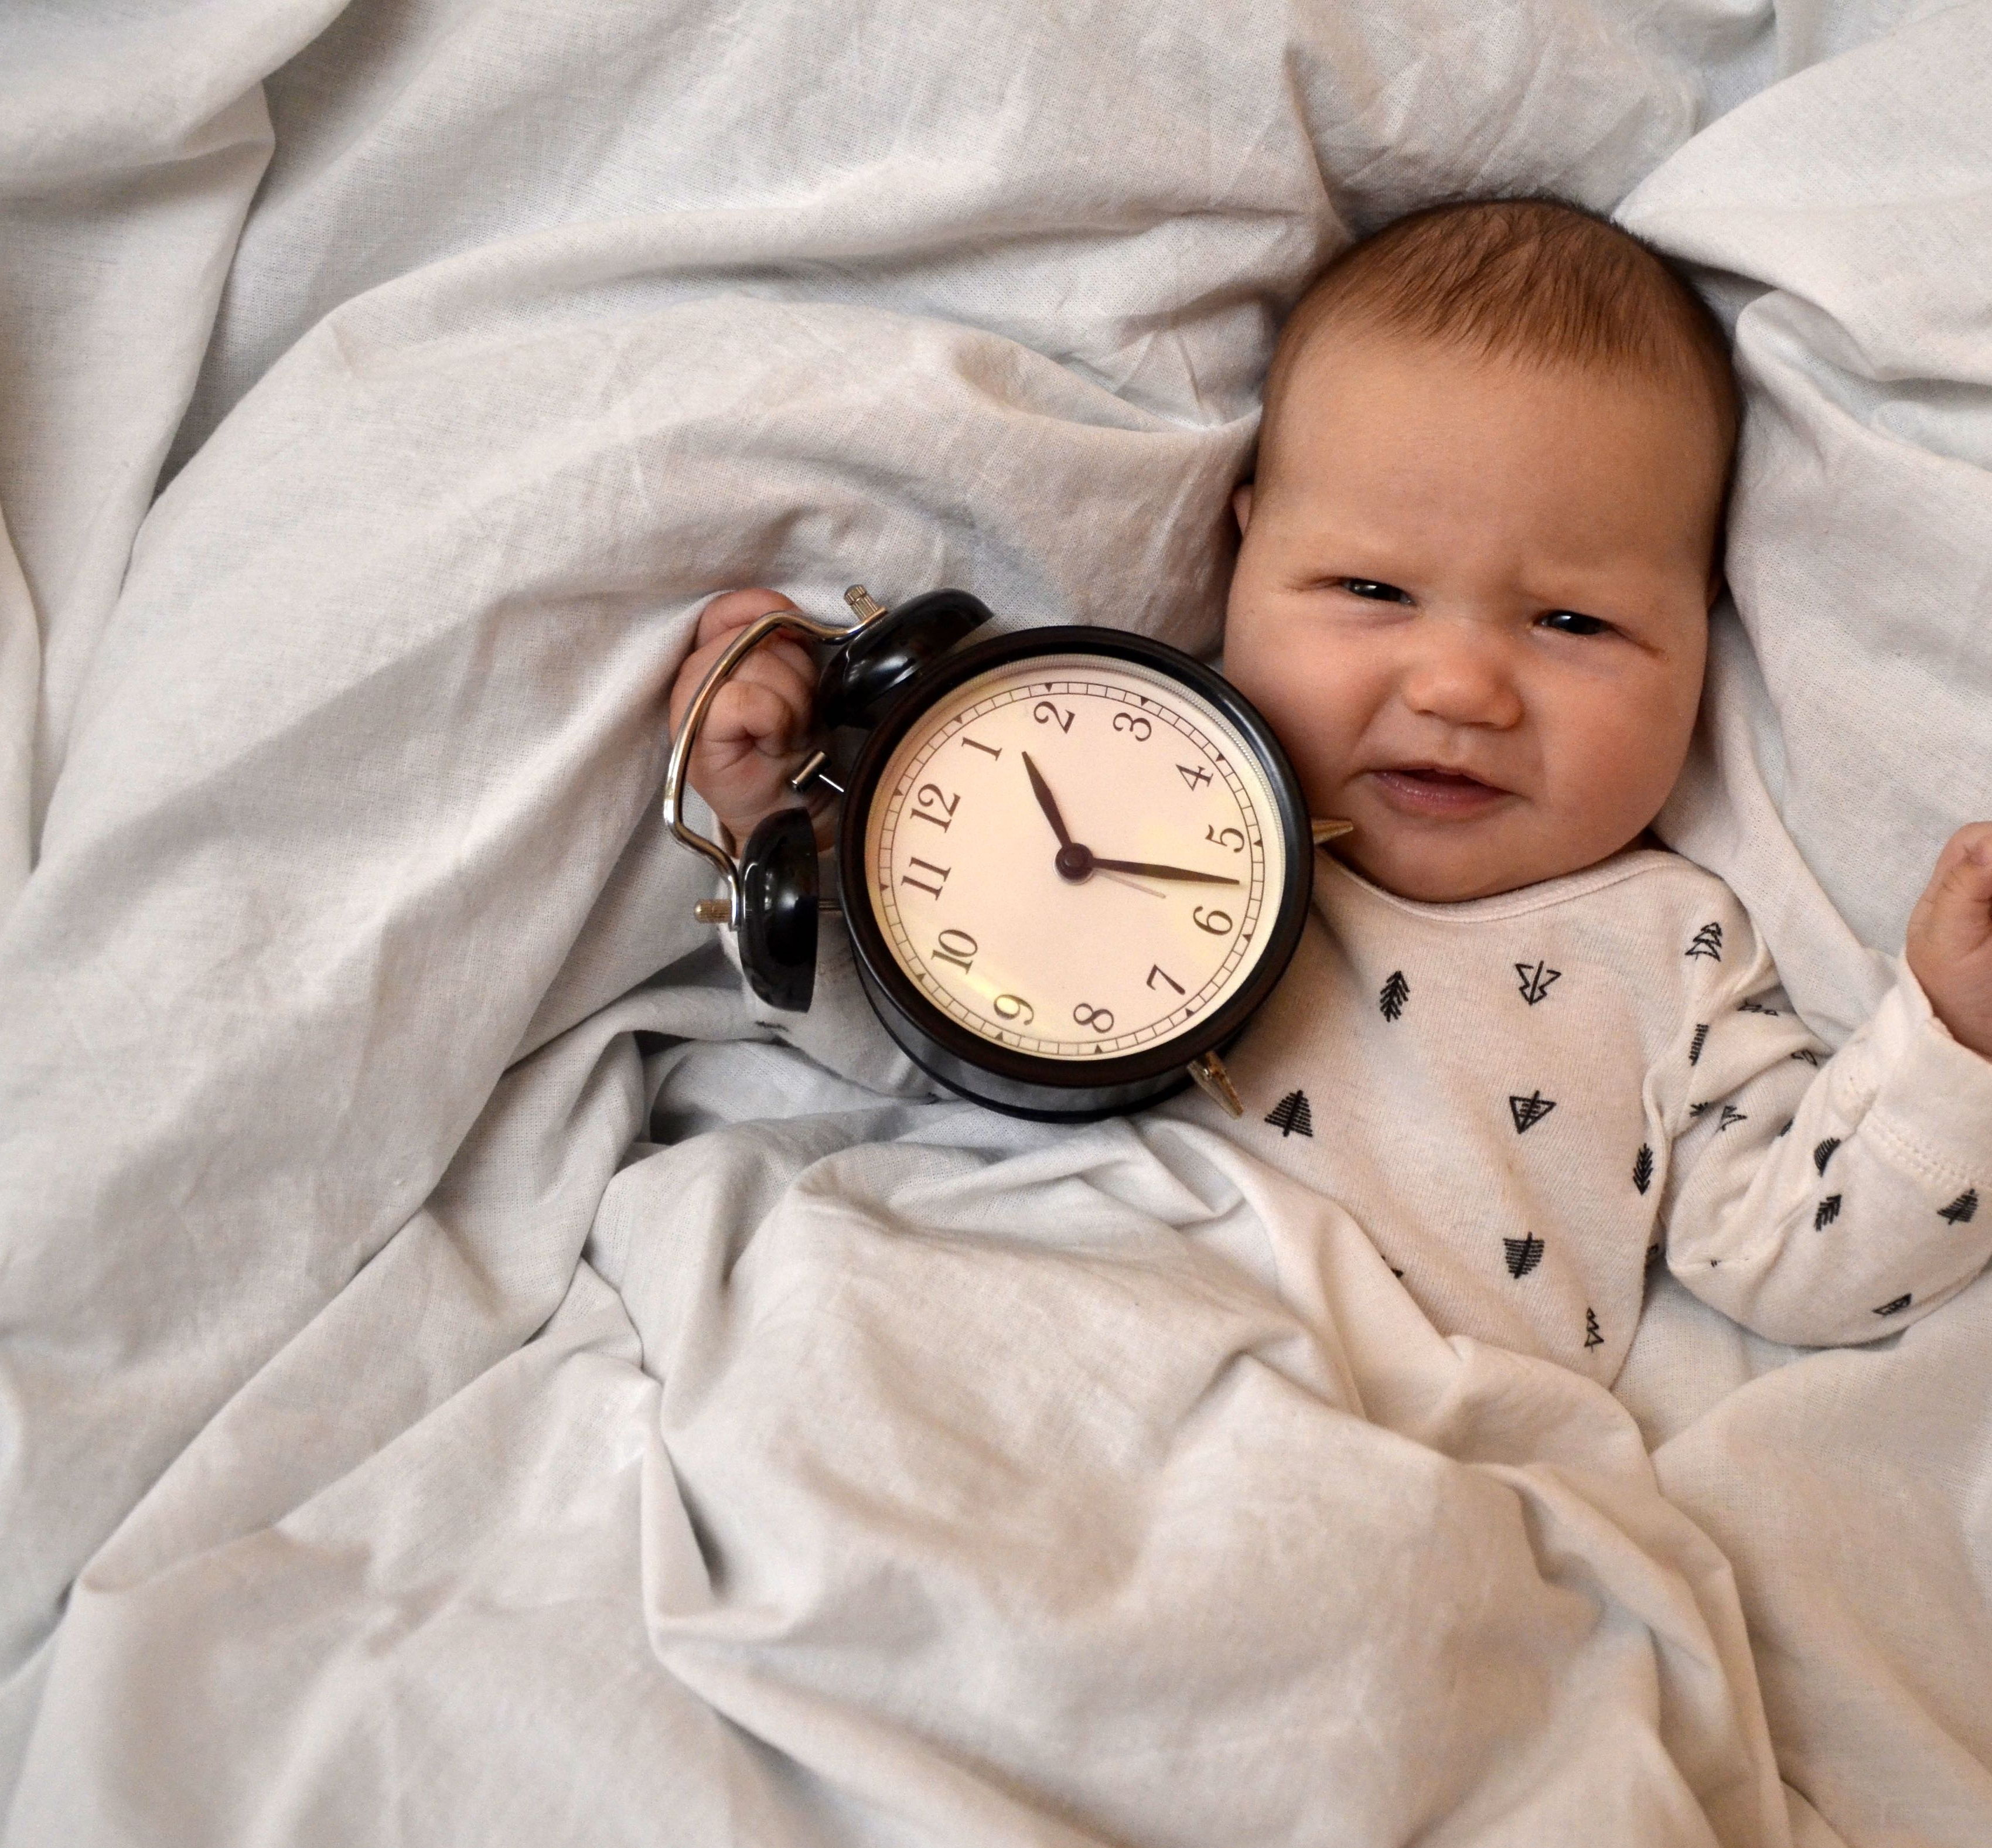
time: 11:17
